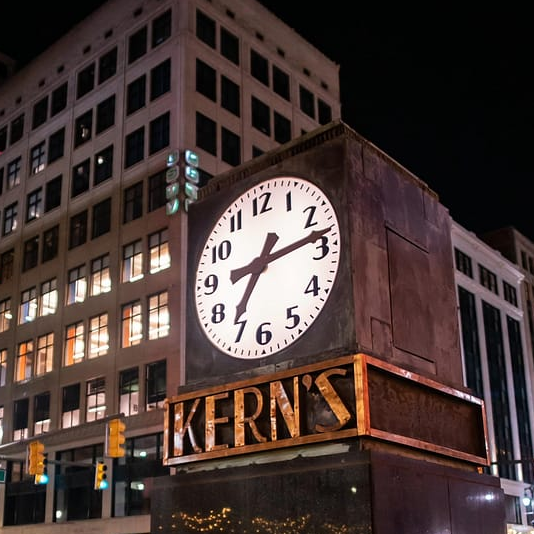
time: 7:13
